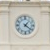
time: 1:21
